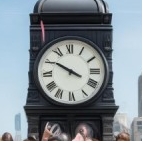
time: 3:50
